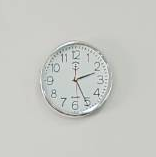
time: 2:25
